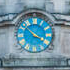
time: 3:52
